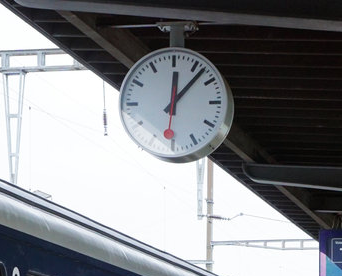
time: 12:07
